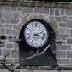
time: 2:18
